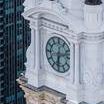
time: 6:12
